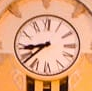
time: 8:38
